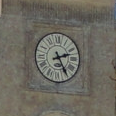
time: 2:25
